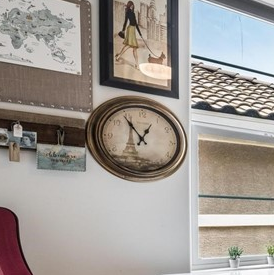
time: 12:54
